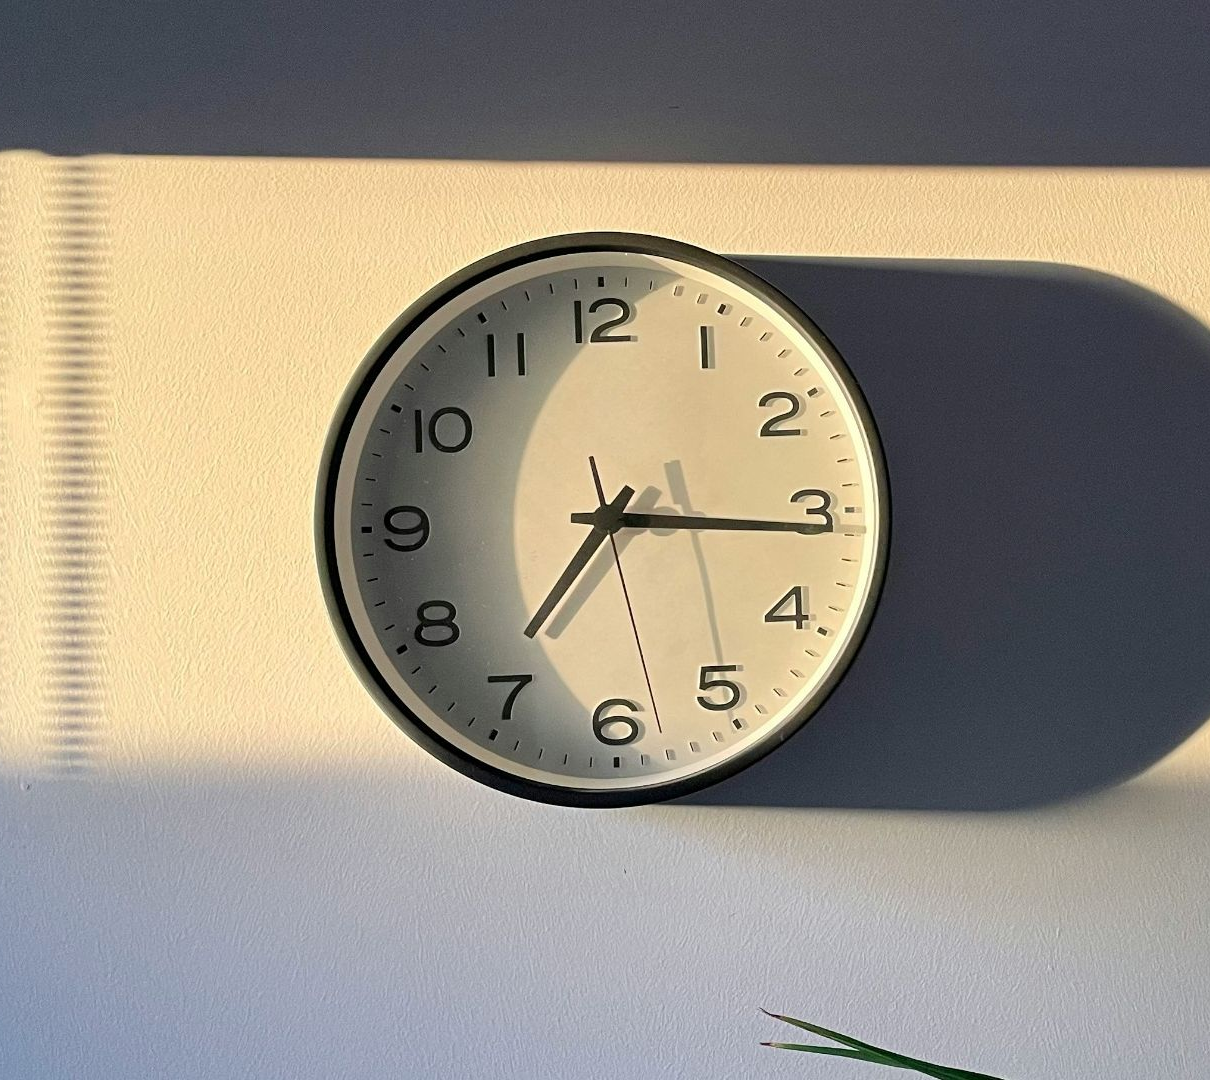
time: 7:15
